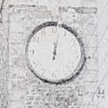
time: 12:02
